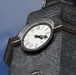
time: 4:18
